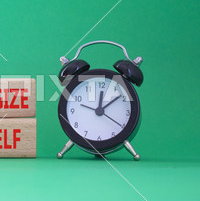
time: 12:07
